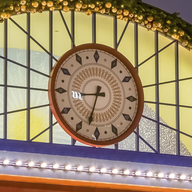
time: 8:33
